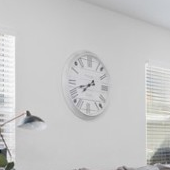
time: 7:42
